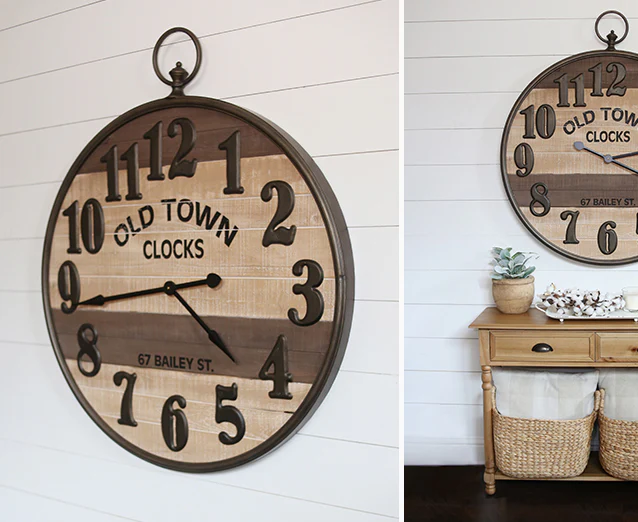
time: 4:43
